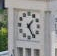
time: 1:25
